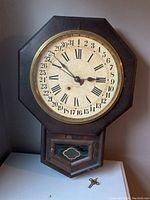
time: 2:52
